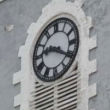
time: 9:20
